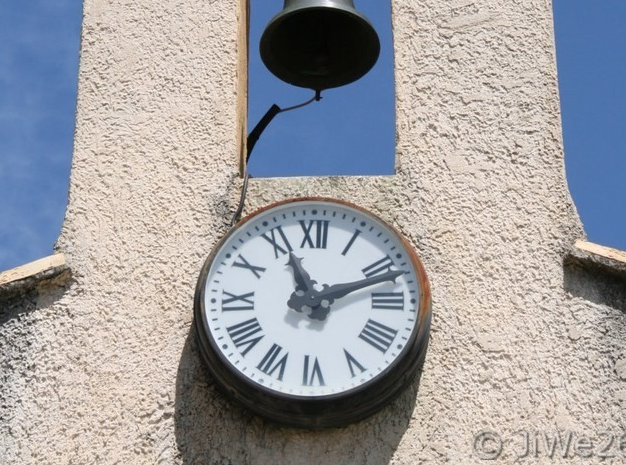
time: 11:11
